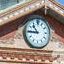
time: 10:45
